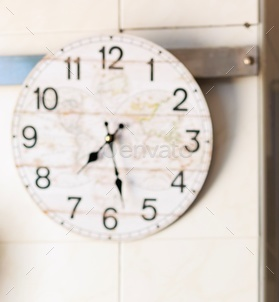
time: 7:28
